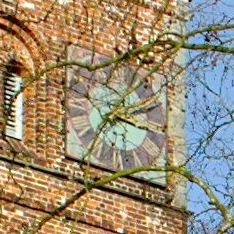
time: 2:18
